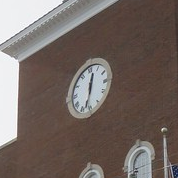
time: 12:32
